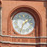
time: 1:33
